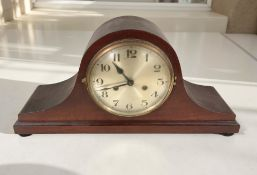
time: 10:41
